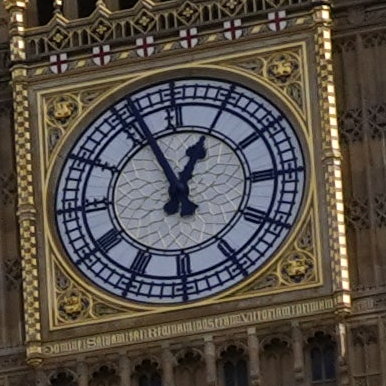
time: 12:57
